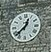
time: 12:37
